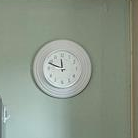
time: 11:48
